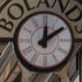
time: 12:09
